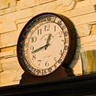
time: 12:42
